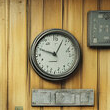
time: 12:48
